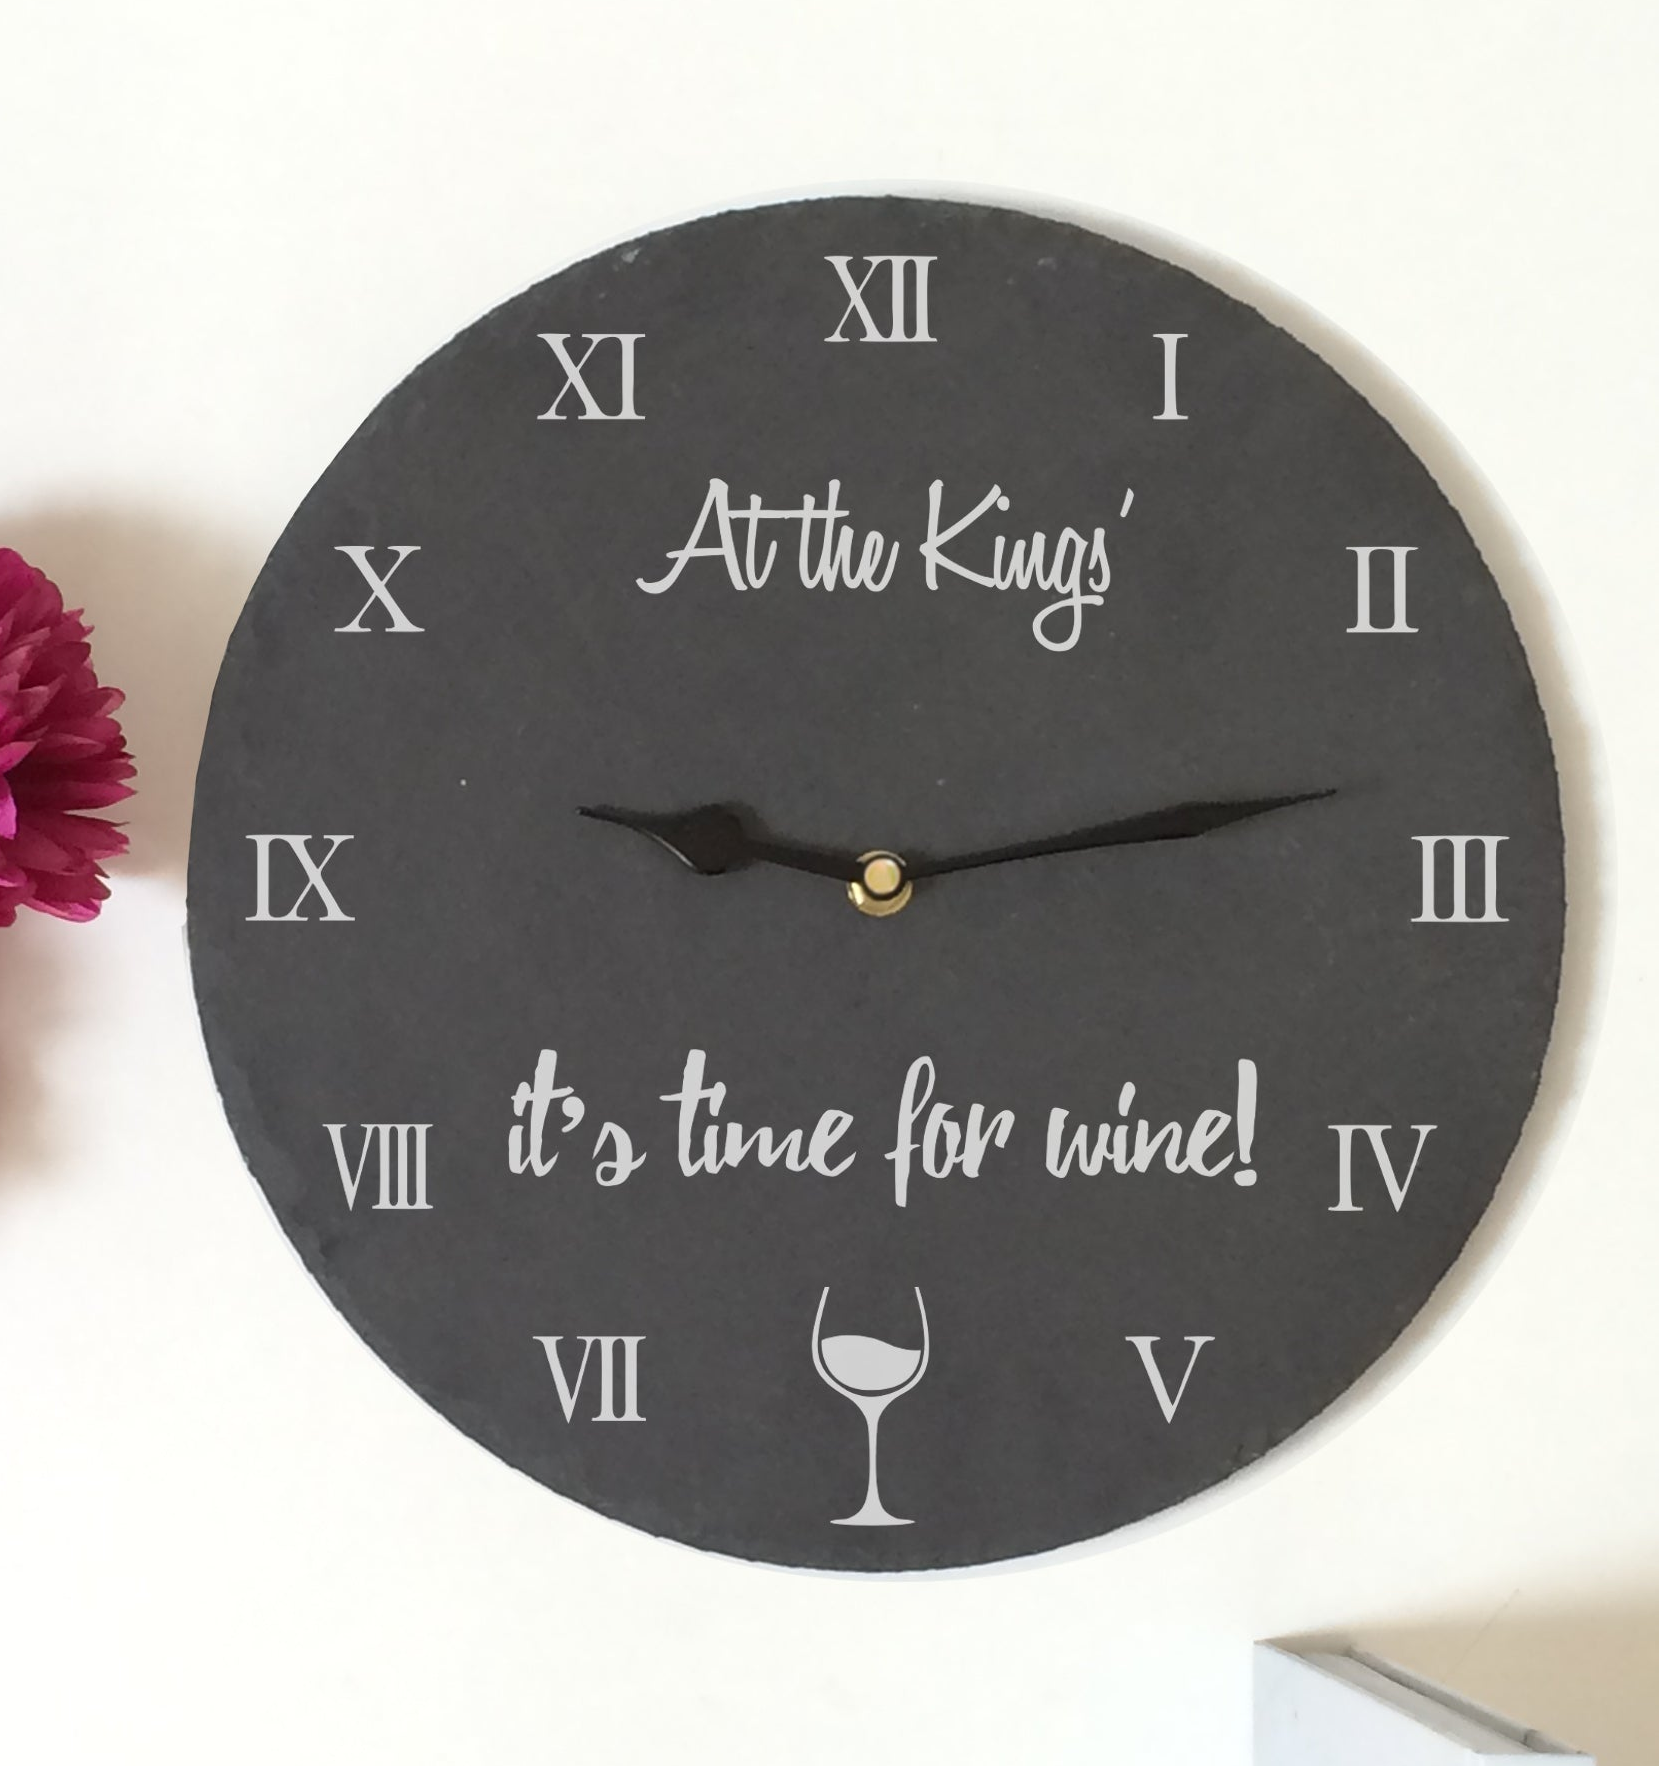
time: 9:13
